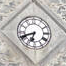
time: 6:41
